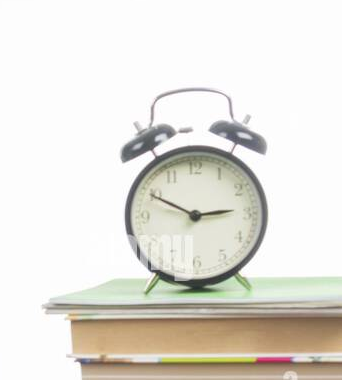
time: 2:49
